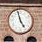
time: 4:57
